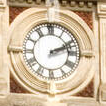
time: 2:12
